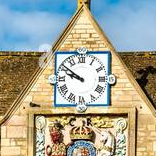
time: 9:51
